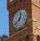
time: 12:37
